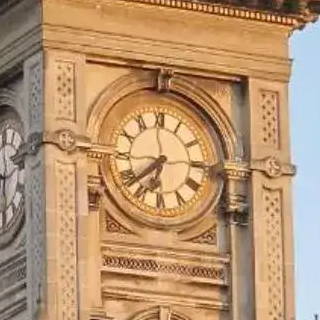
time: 6:38
